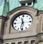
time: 11:31
